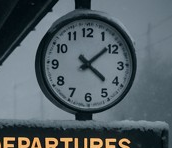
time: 4:08
